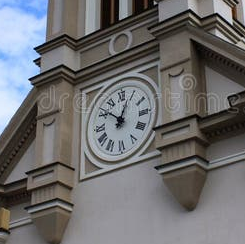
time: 12:51
